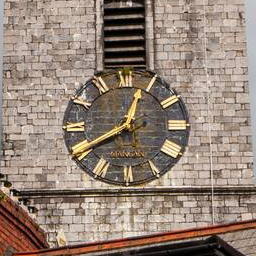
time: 12:40
